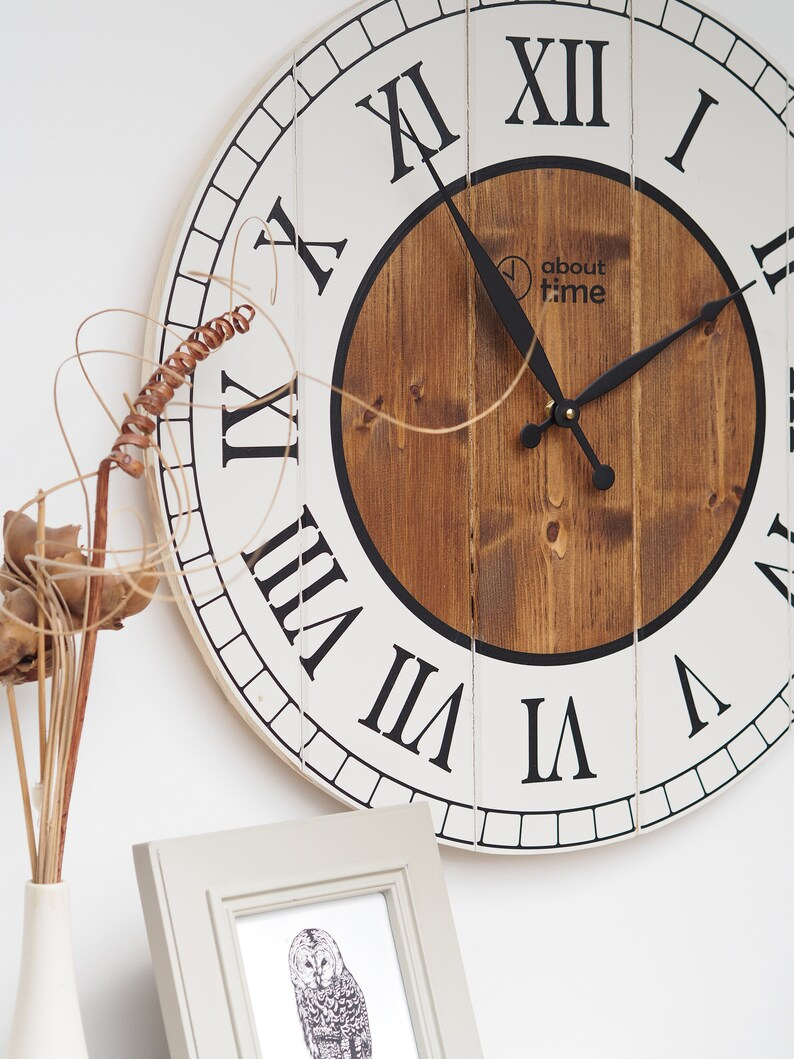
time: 1:54
